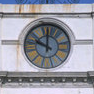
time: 10:00
